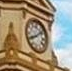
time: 8:08
